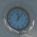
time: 12:06
